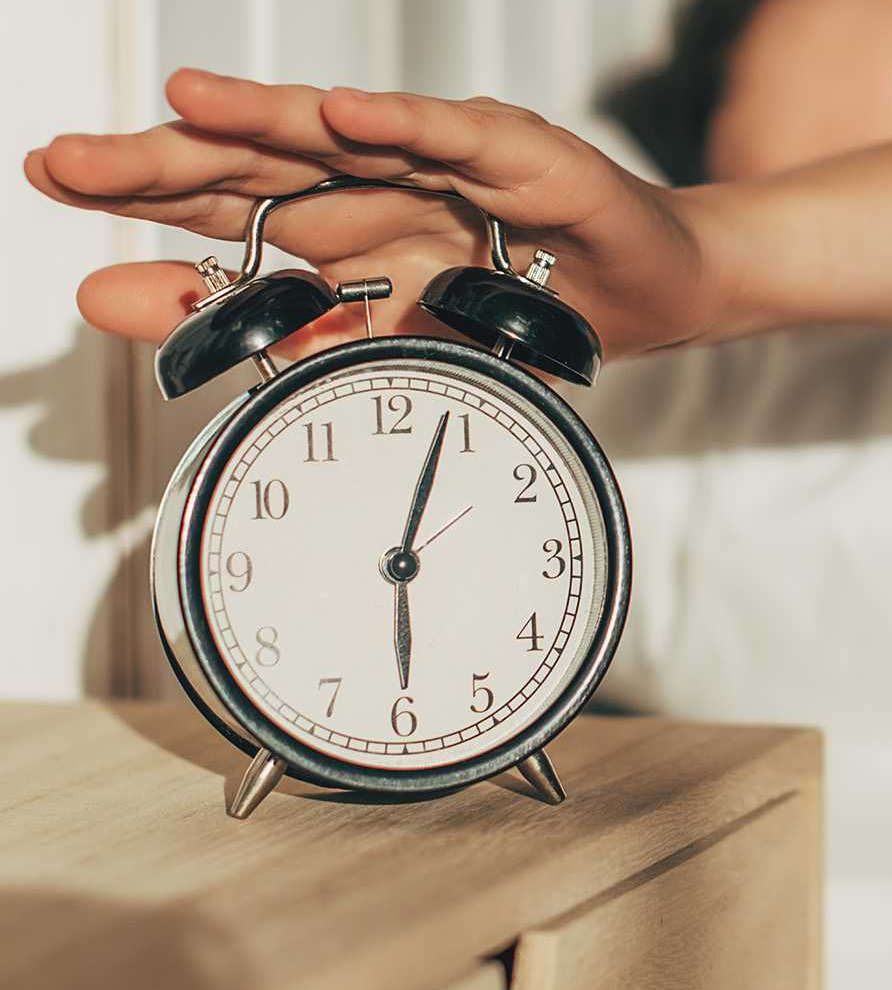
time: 6:03
